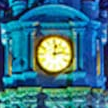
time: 12:12
